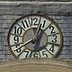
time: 12:40
